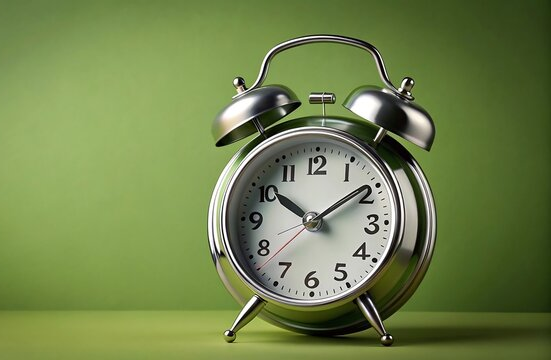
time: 10:09
